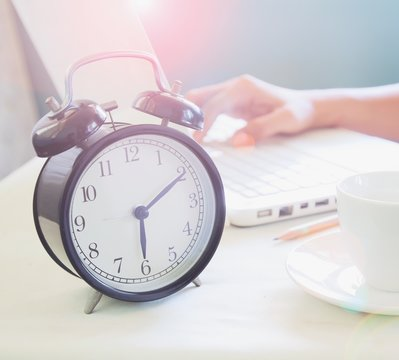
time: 6:10
